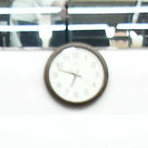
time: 6:47
